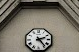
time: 2:23
